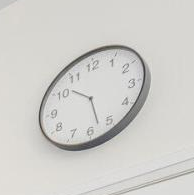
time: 10:27
